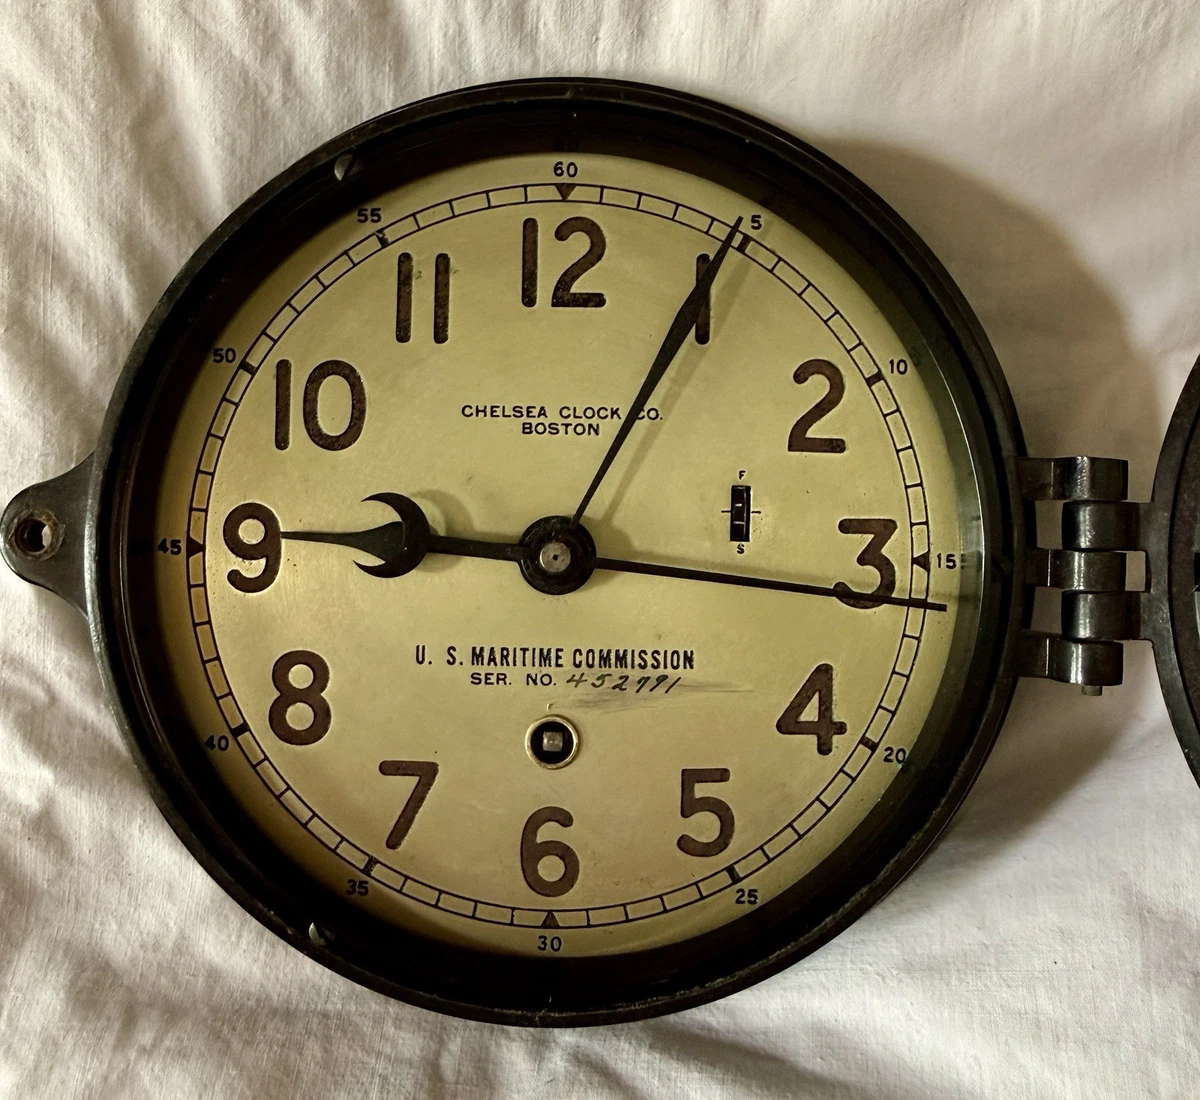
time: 9:04
